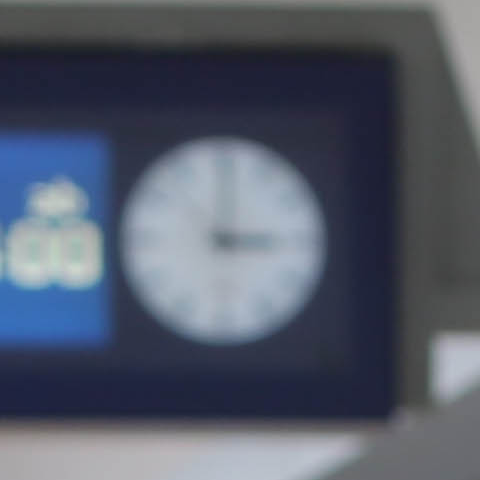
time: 3:00
